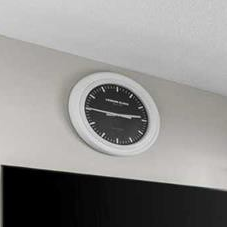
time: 2:45
